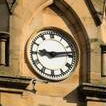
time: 9:13
